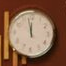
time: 11:57
